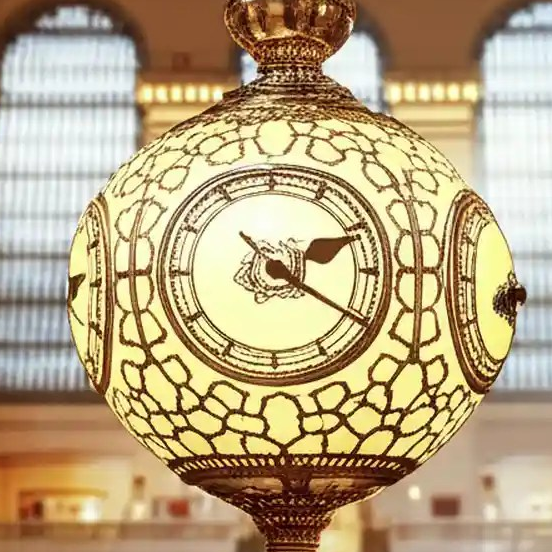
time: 2:20
